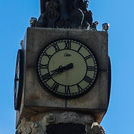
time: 8:40
